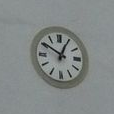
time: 12:50
